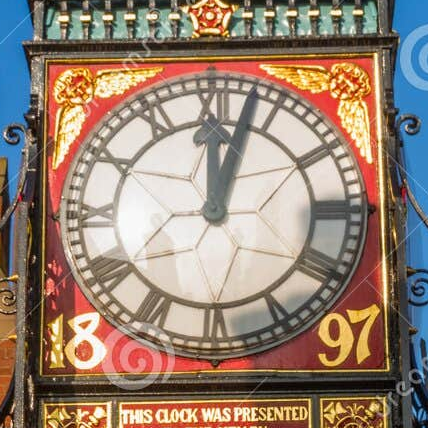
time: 12:02
